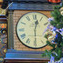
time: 12:29
